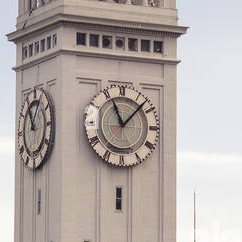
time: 11:07
